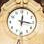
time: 12:16
